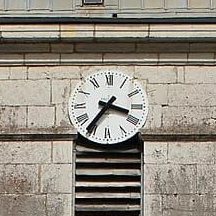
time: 3:36
